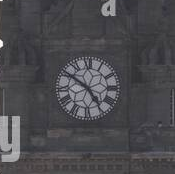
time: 4:50
